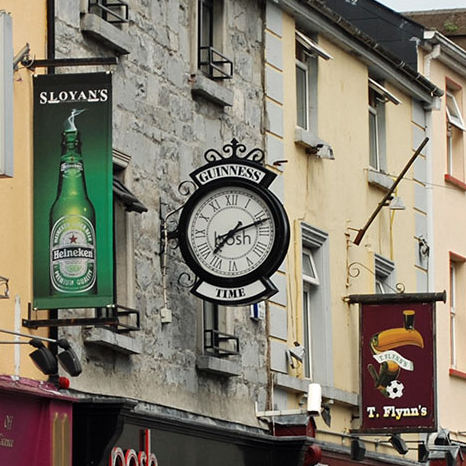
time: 7:11
